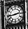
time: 2:43
